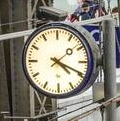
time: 4:19
